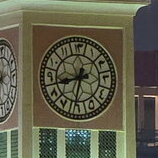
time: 8:32
